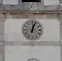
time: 12:03
